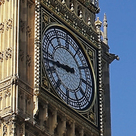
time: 8:43
